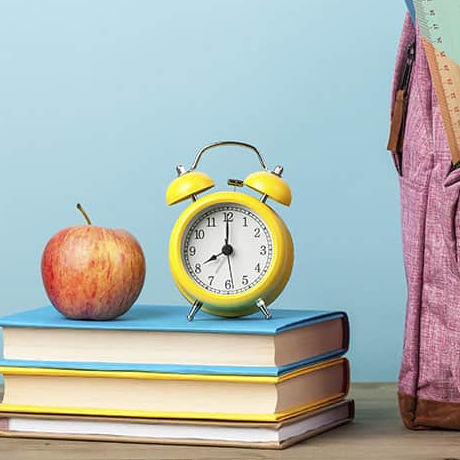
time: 8:00
